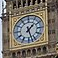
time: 1:27
